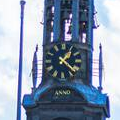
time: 1:21
